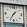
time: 1:35
